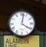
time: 4:02
